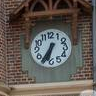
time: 6:35
